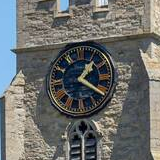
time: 1:20
